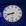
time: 8:42
